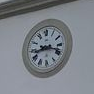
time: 8:17
